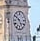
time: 4:50
